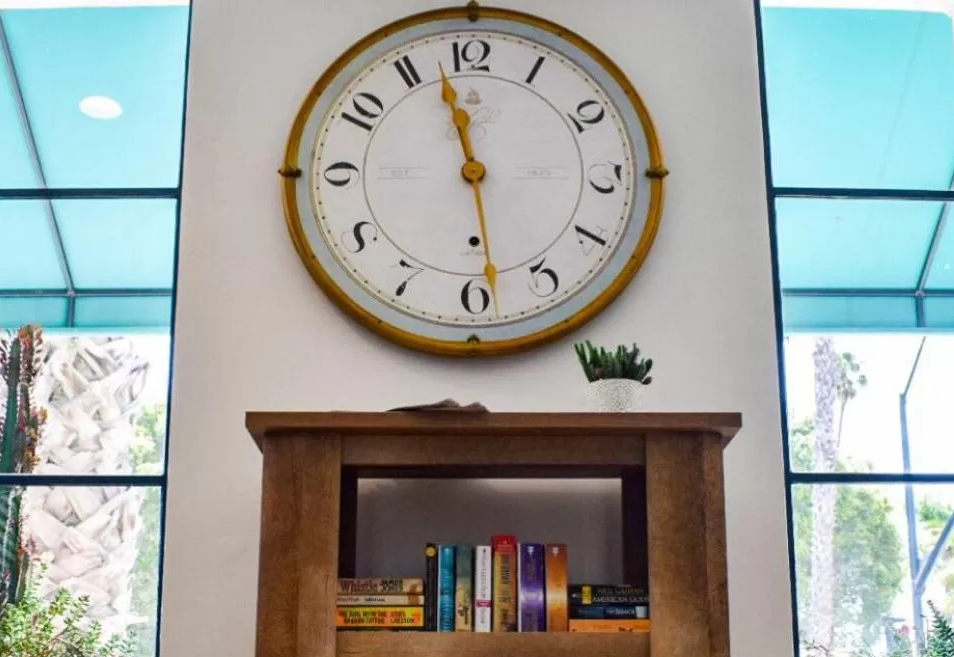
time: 11:28
